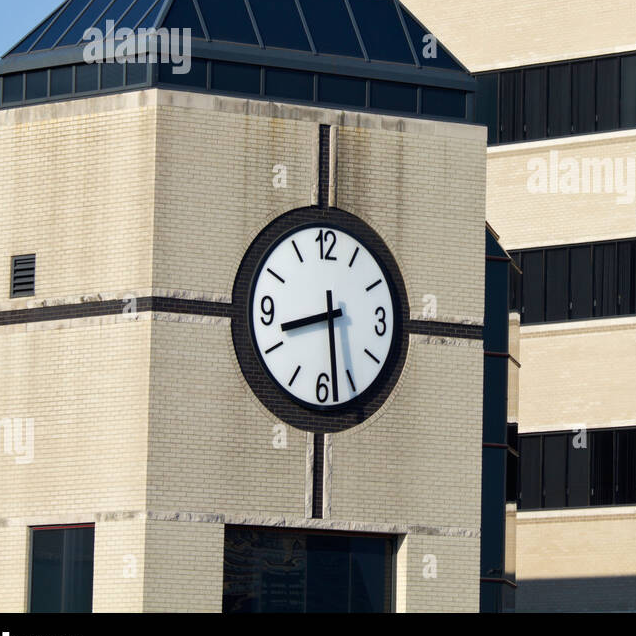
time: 8:28
